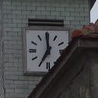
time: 6:59
